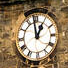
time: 12:59
